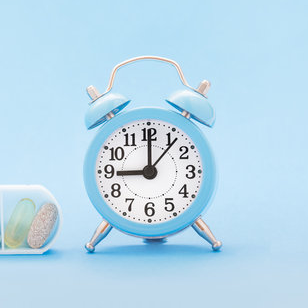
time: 9:00
